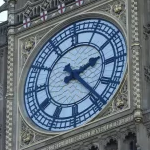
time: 2:23
